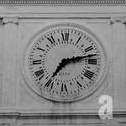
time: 7:12
